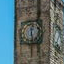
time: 12:28
